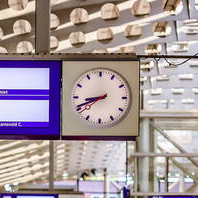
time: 8:41
